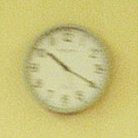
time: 10:19
